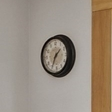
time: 1:34
